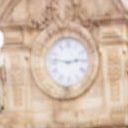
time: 2:46
